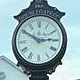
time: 2:50
